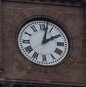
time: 2:02
